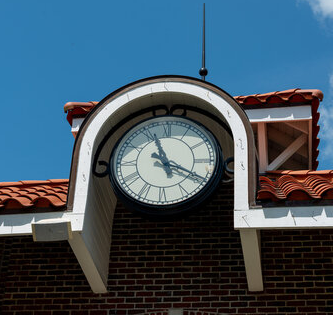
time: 11:19
